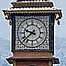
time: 9:38
